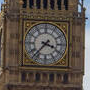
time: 3:37
